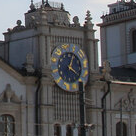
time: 4:04
